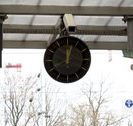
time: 12:02
